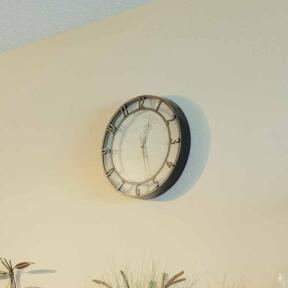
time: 12:26
